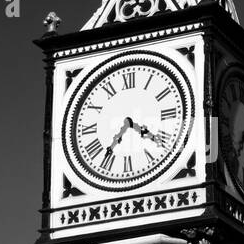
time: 7:21
